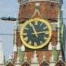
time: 11:13
